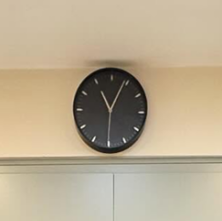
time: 11:04
